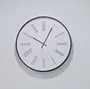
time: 10:04
